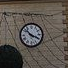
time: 3:52
